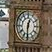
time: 12:30
